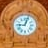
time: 9:03
